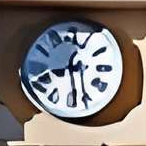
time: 12:28
